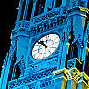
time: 10:52
